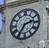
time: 2:35
